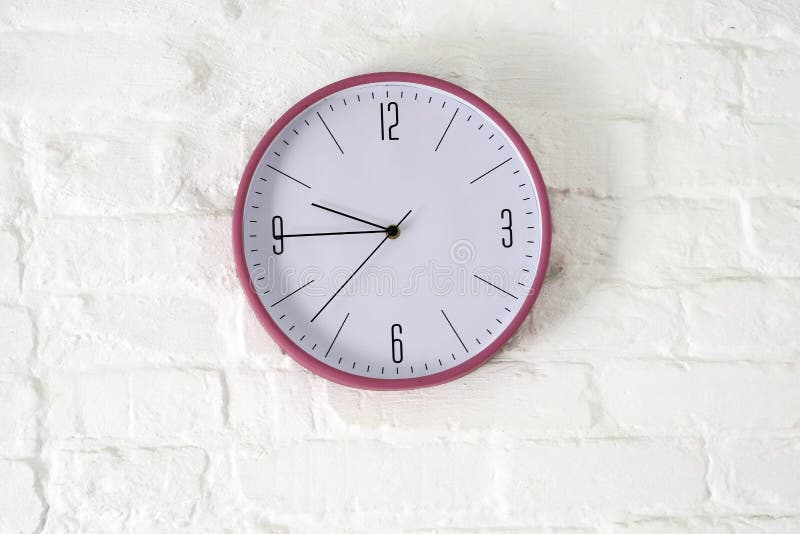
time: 9:45
